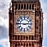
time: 2:46
